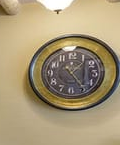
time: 1:24
